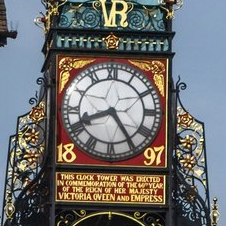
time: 8:24
